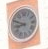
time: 8:48
